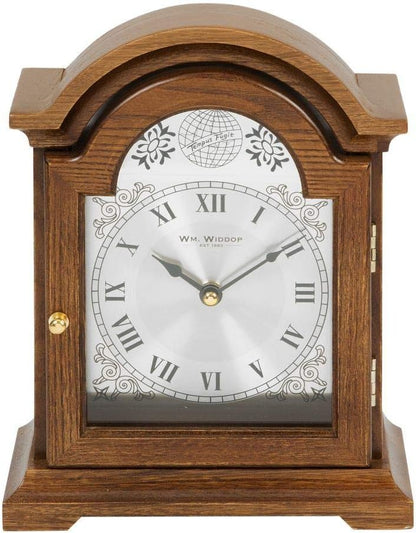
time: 10:09
